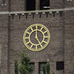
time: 4:59
